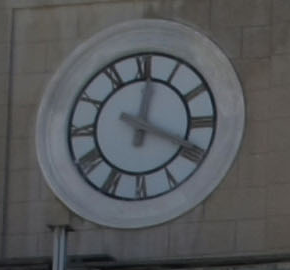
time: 12:19
